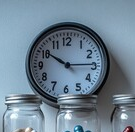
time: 10:14
